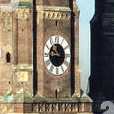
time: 10:45
